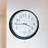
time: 3:44
